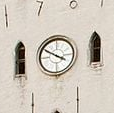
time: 3:50
